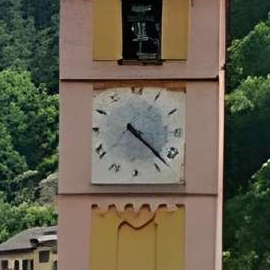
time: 4:22
